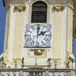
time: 2:01
